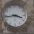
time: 3:43
